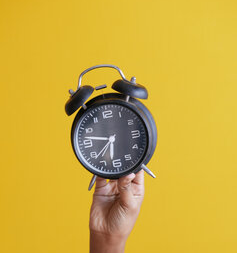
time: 6:47
